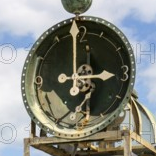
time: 2:59
